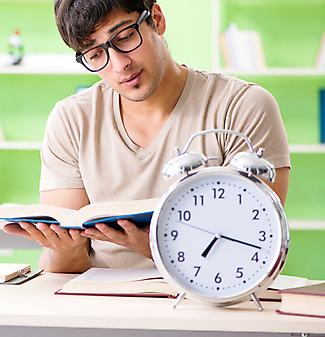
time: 7:17
